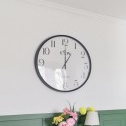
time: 1:00
